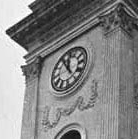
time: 11:54
